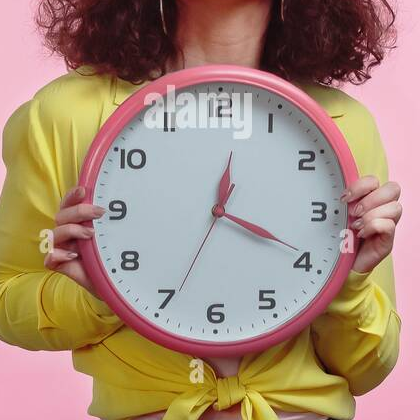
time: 12:19
